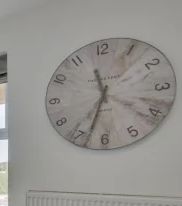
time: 11:33
